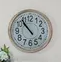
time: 10:53
